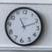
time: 11:11
